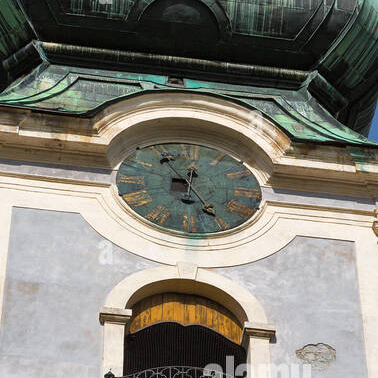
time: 12:24
